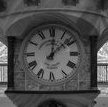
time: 12:08
